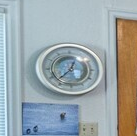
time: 12:37
